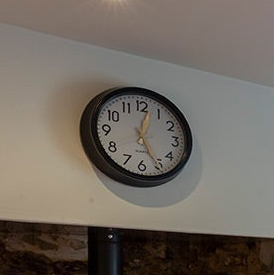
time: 12:25
